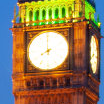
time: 7:59
